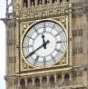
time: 11:40
